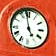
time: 4:58
